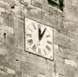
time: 12:05
